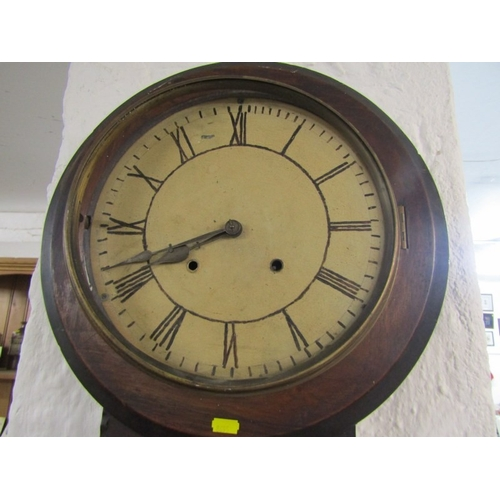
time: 7:41
